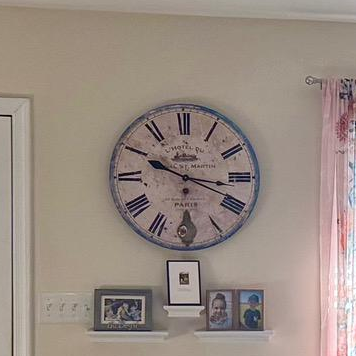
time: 3:49
